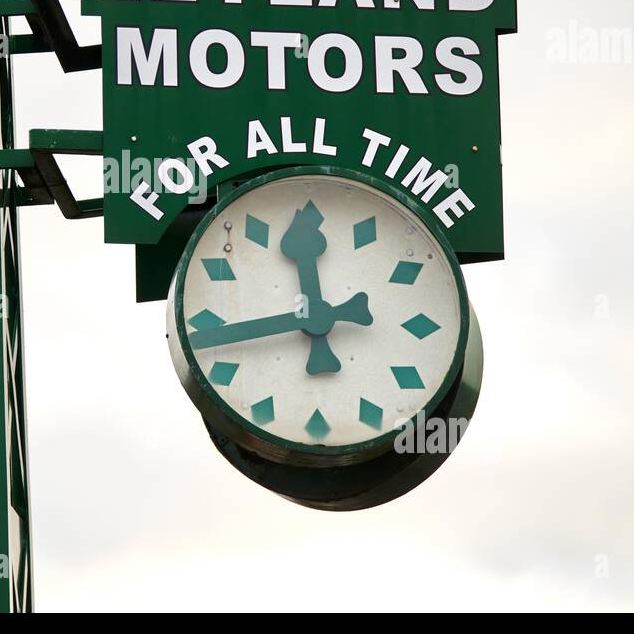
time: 11:43
